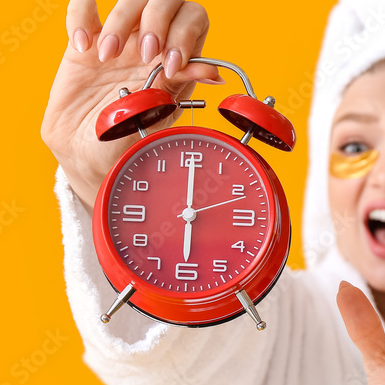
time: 6:00
